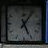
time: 5:06
